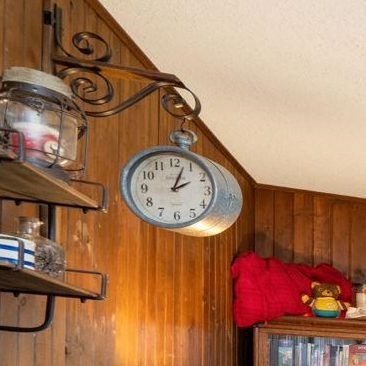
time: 2:03
